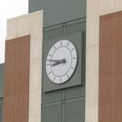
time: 8:47
